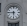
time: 5:45
